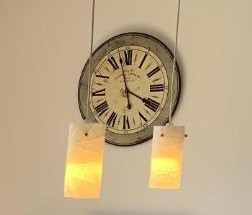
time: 3:57
